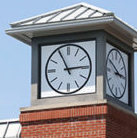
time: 2:55
